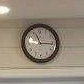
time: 11:15
